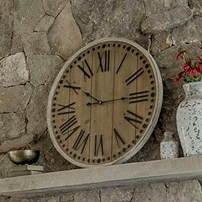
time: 10:14
